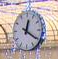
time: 12:20
